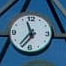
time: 11:36
